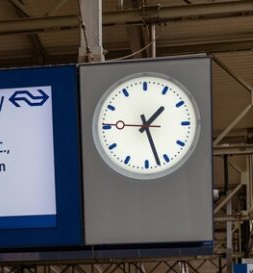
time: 1:27
